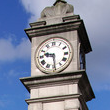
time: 9:29
